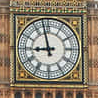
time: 8:57
